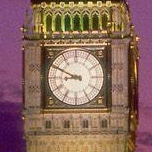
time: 8:49
